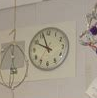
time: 9:56
